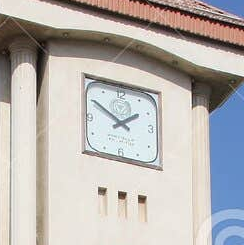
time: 1:50
